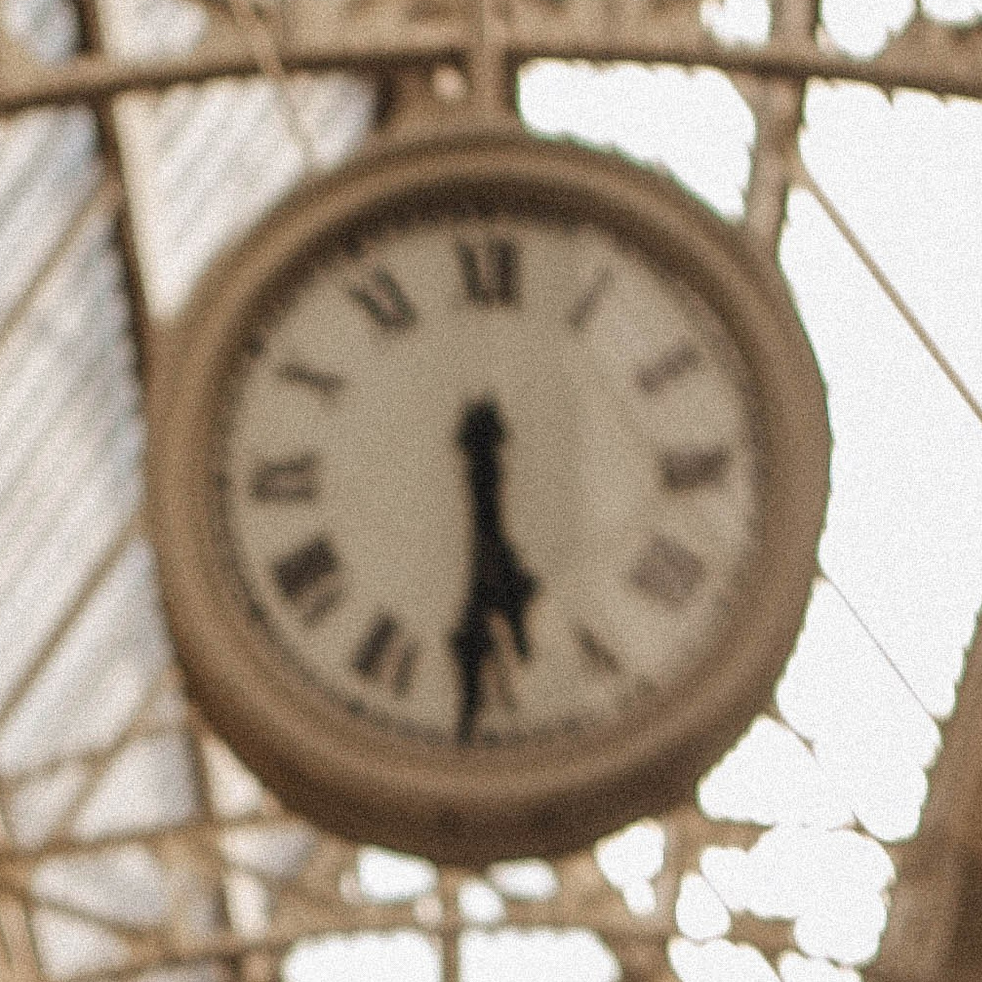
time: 5:30
